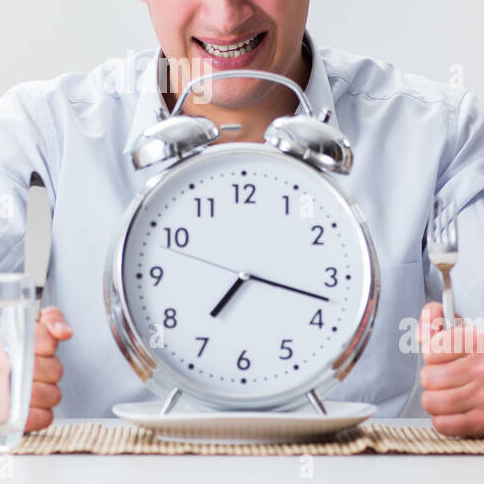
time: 7:17
